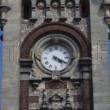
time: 4:19
